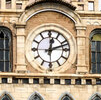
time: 12:11
